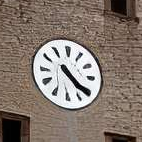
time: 4:21
